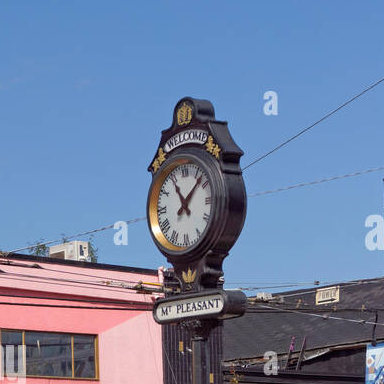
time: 11:07
